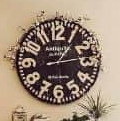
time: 1:13
